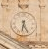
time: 6:25
